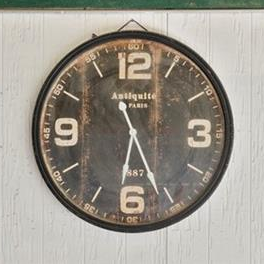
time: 6:26
